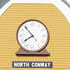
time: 7:53
